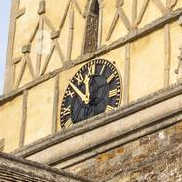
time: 11:52
